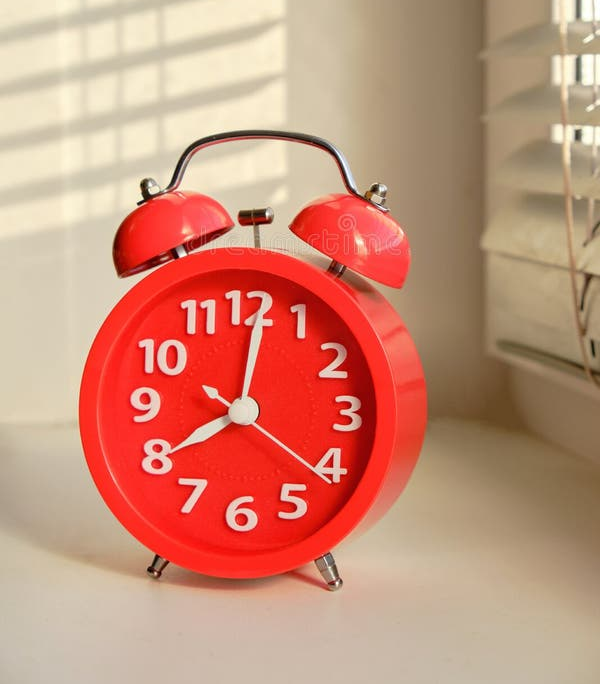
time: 8:01
